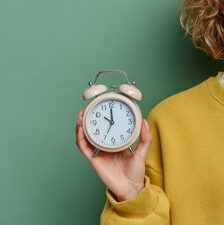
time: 9:59
